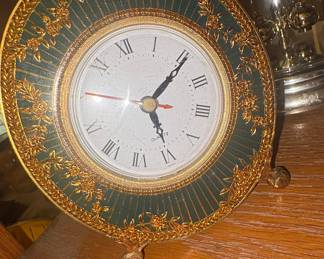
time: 5:05
